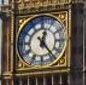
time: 12:23
